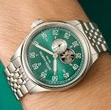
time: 5:49
